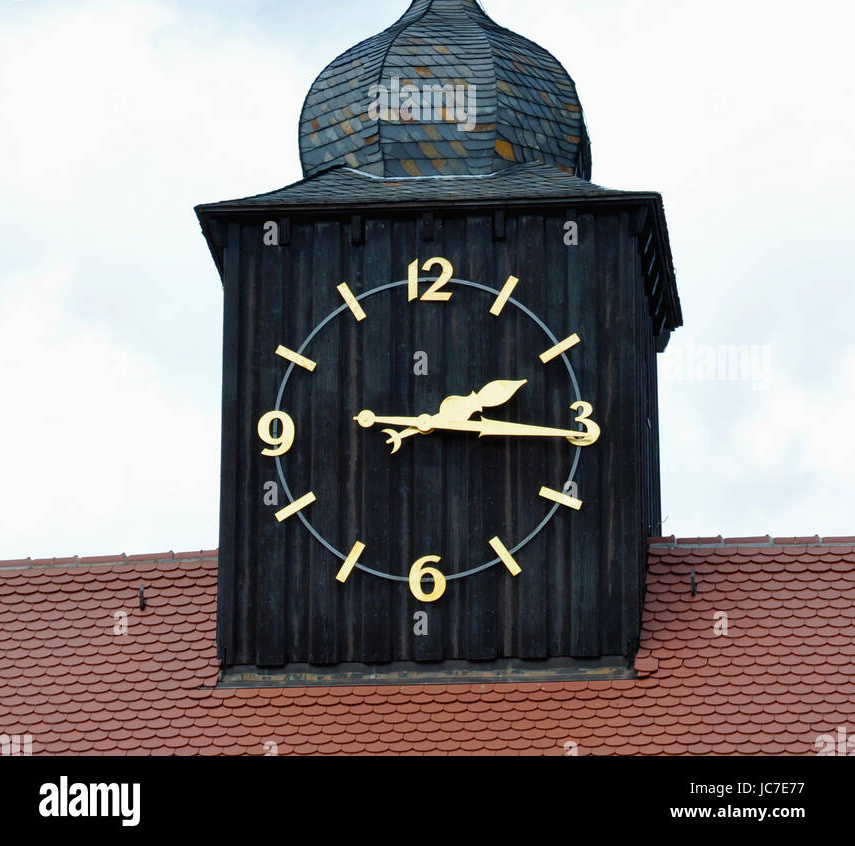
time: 2:15
